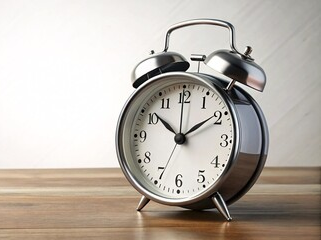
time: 1:51
